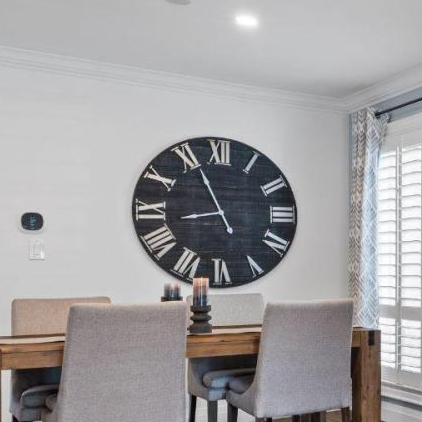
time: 8:56
